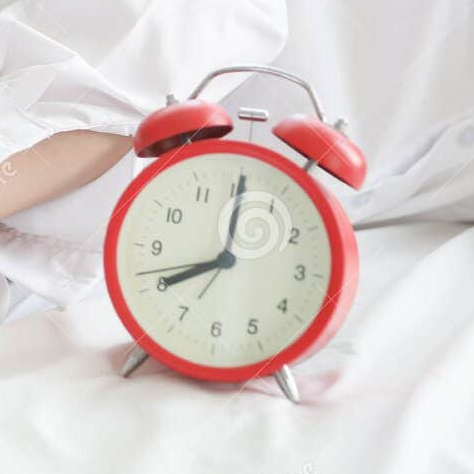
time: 8:00
